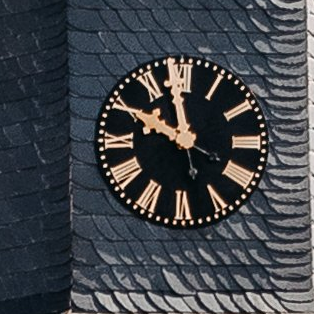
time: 9:58
